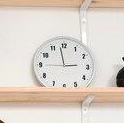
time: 2:58
